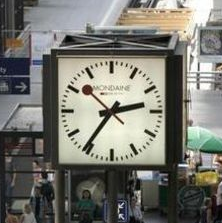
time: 2:35
